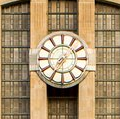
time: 7:15
